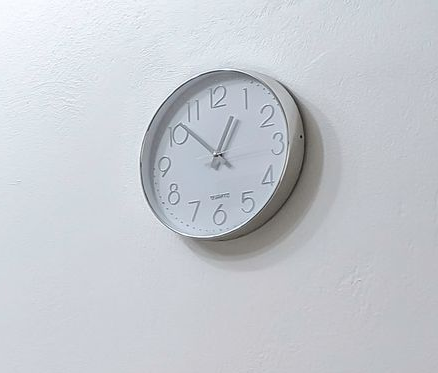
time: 12:52
